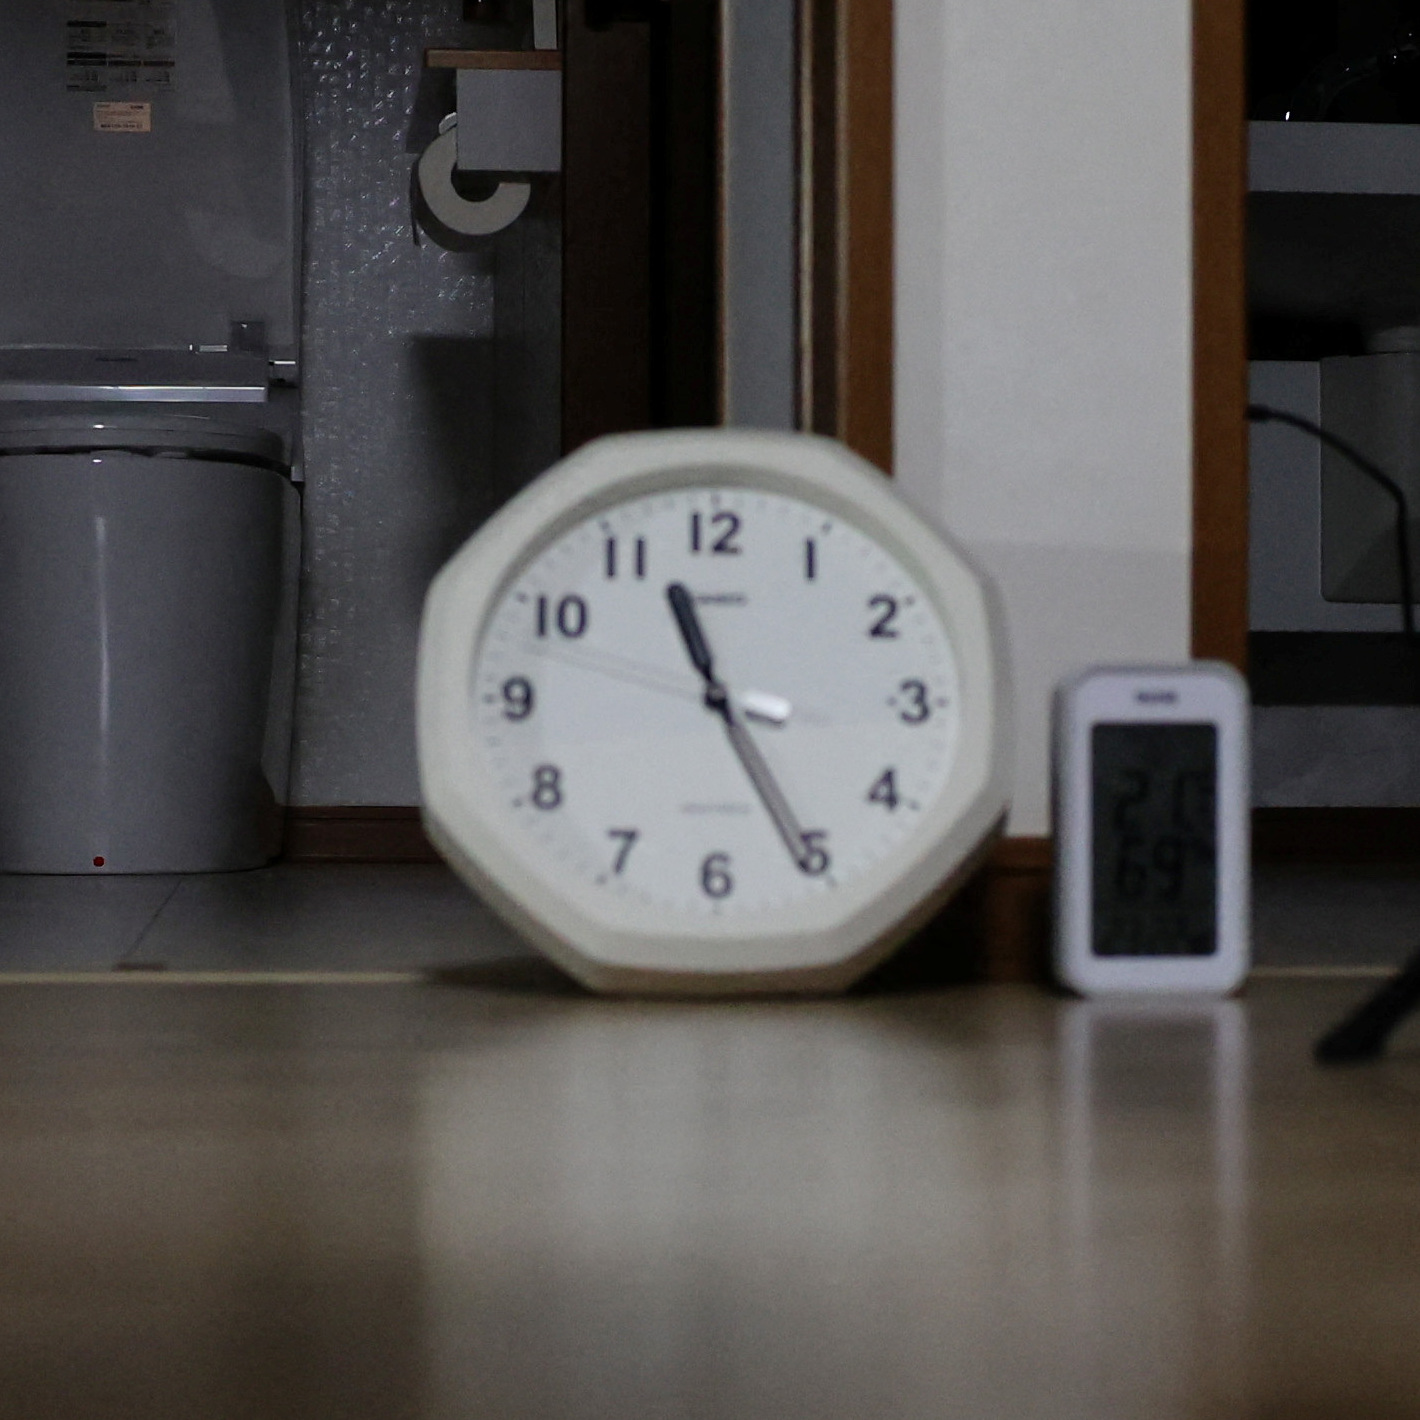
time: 11:25
